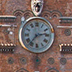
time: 2:36
